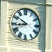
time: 8:50
